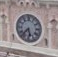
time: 5:36
